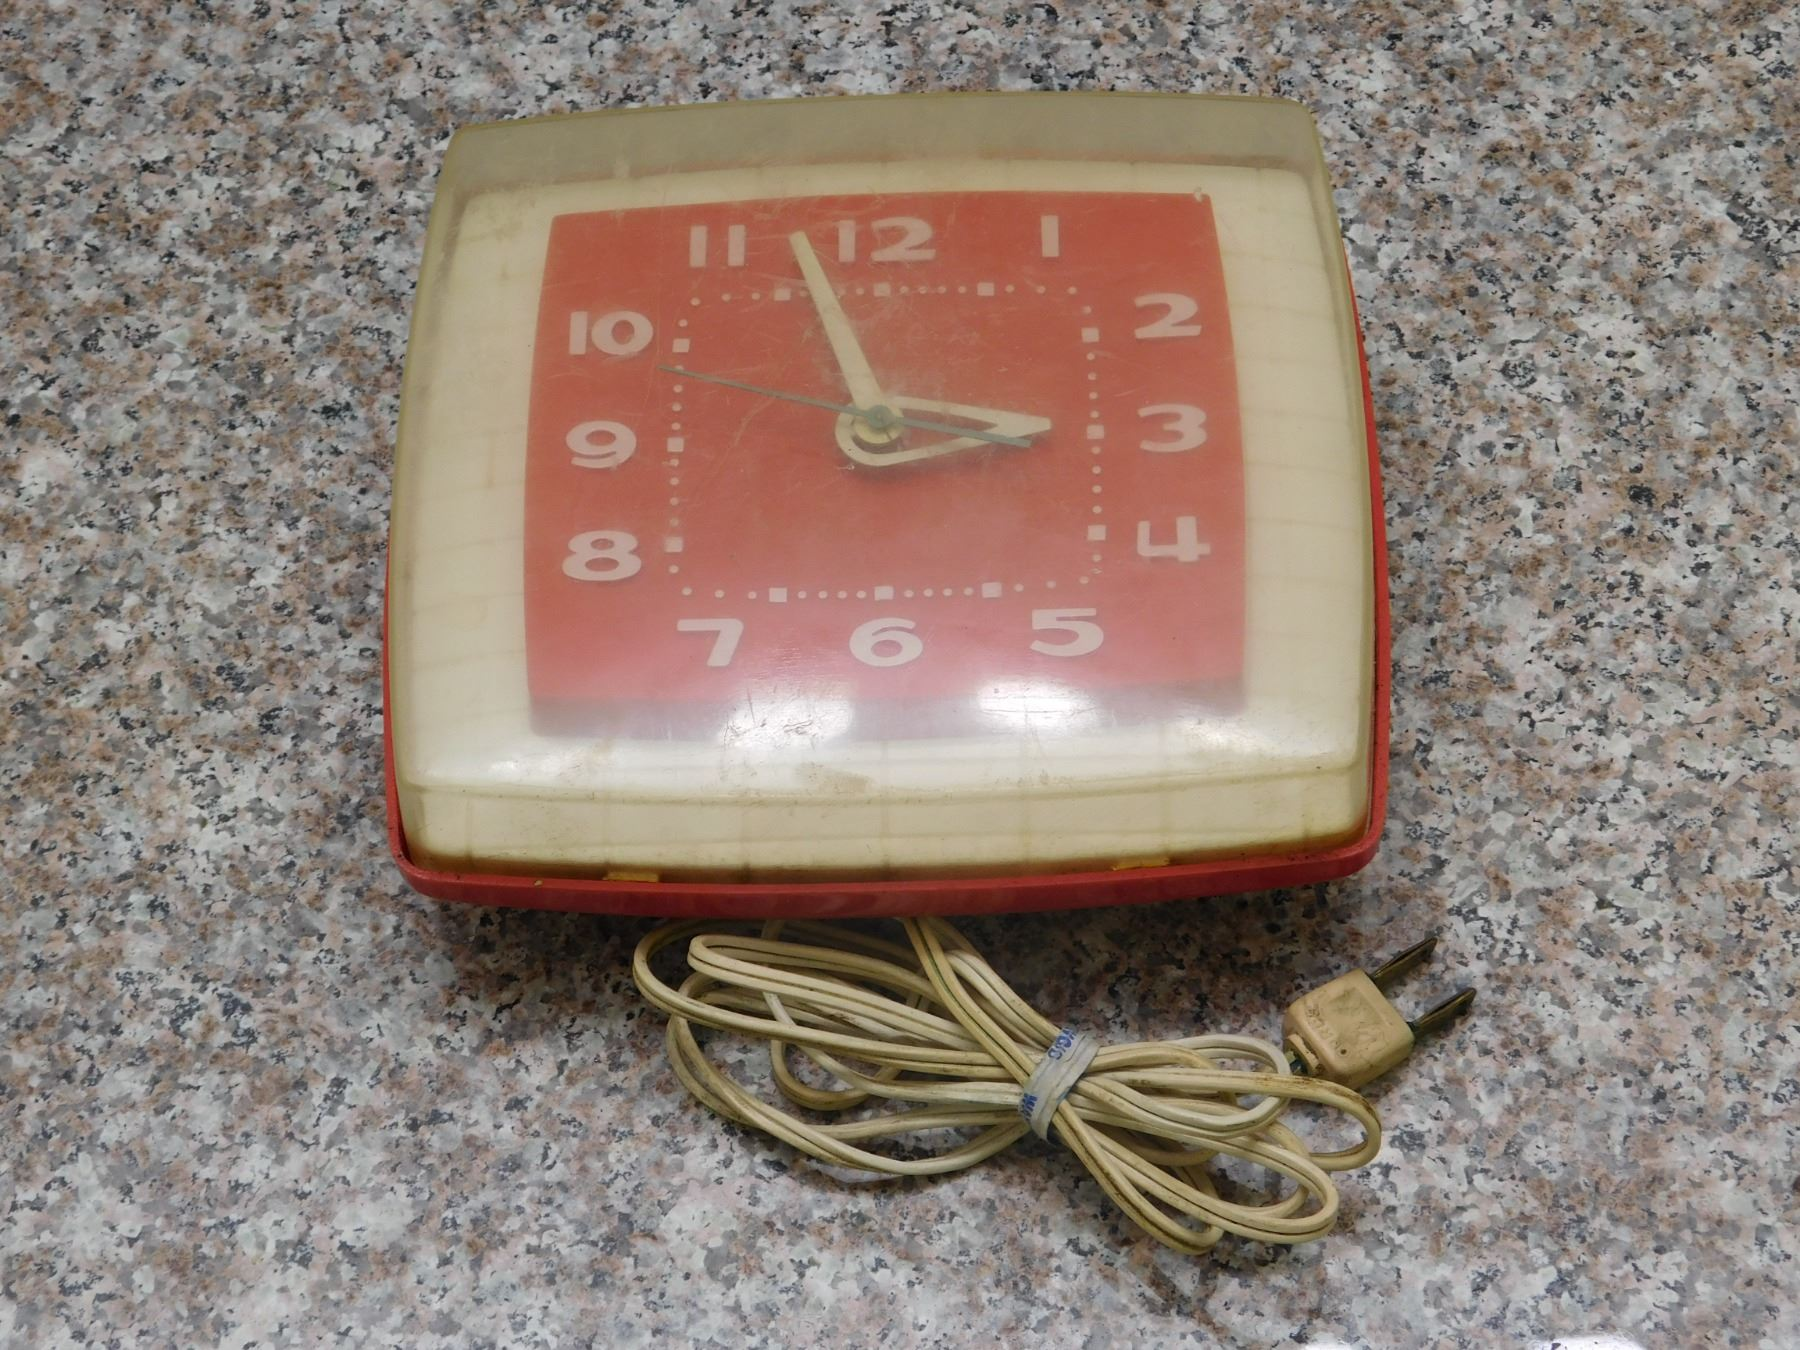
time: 2:57
